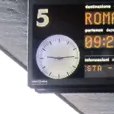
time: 9:14
